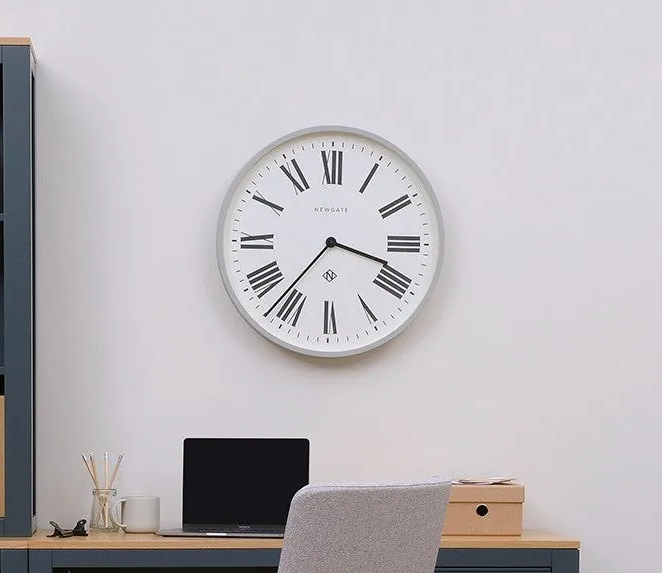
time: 3:36
